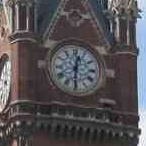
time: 12:30
